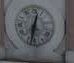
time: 12:32
